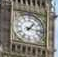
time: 1:16
